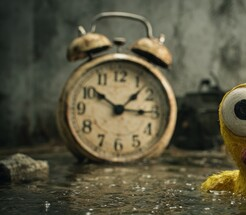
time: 10:15
